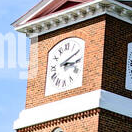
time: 3:10
